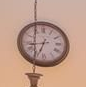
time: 6:43
